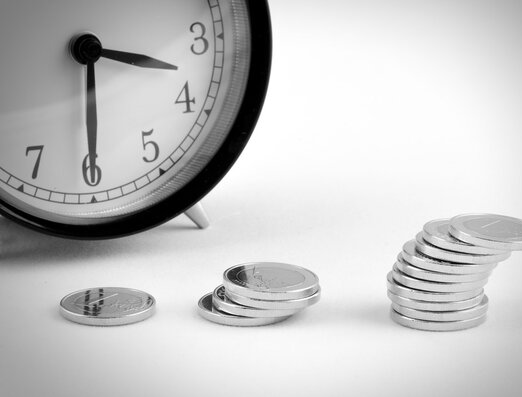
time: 3:29
